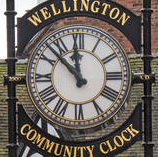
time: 11:52
